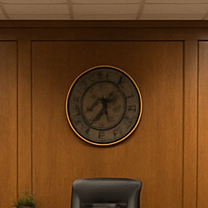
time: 5:35
